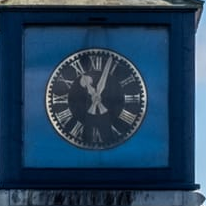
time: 11:03
